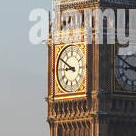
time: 8:49
